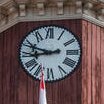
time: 8:48
